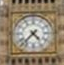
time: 4:37
